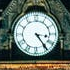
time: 3:24
